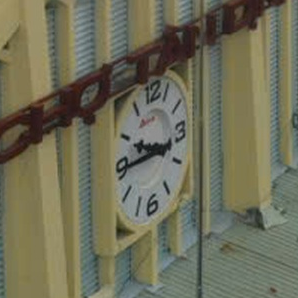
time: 9:44
